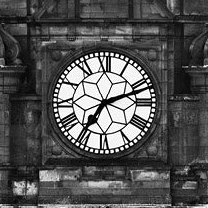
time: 7:11
